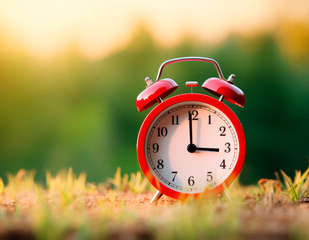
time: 2:59
